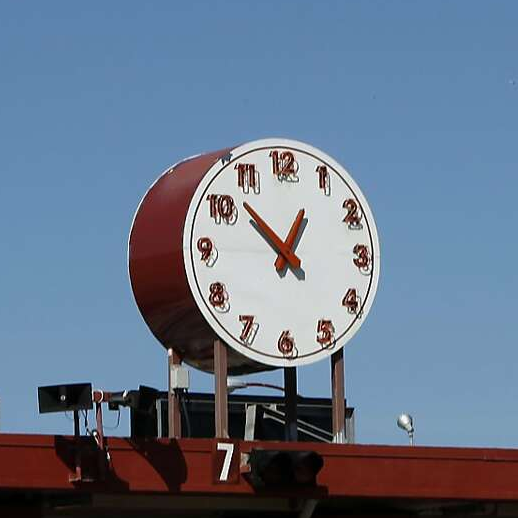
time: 12:52
